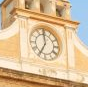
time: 6:58
